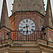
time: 8:29
